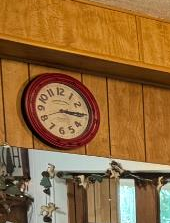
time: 3:14
